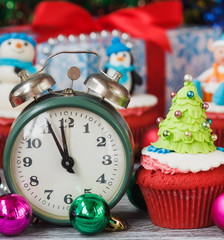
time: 10:58
